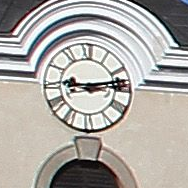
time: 9:13
